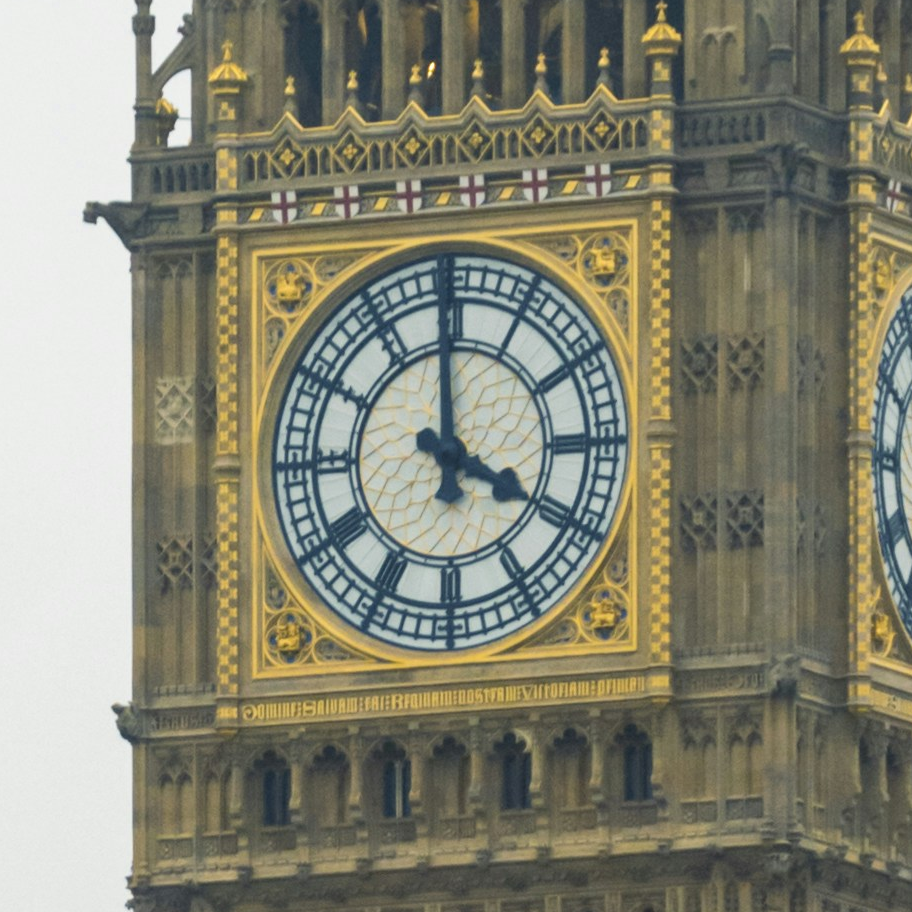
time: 3:59
